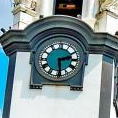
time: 2:29
